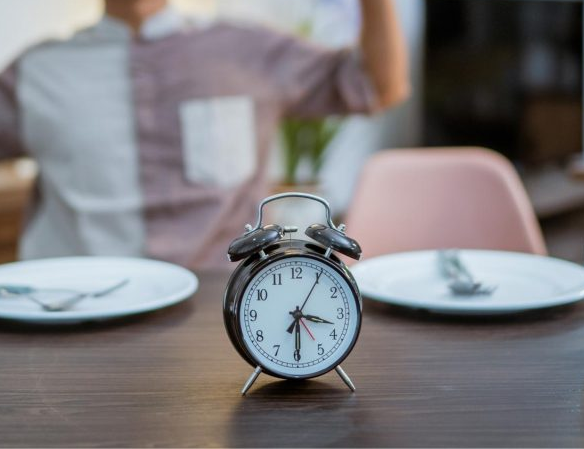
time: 3:30
